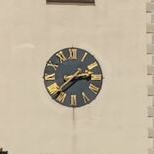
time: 2:38
